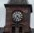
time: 4:35
